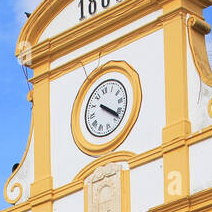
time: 4:22
